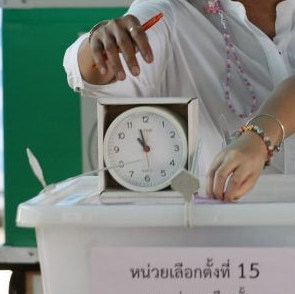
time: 10:57
